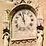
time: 11:55
